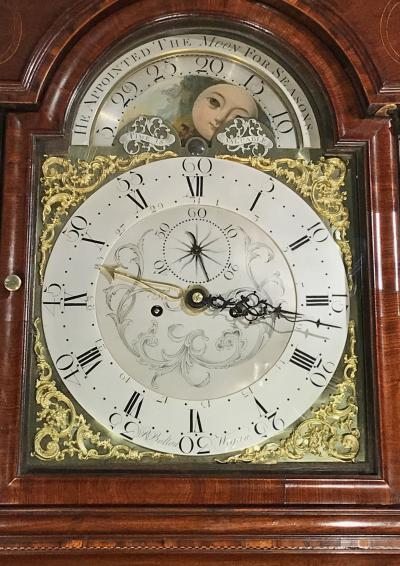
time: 11:16
